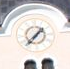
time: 1:37
